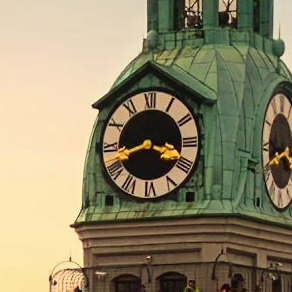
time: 3:42
